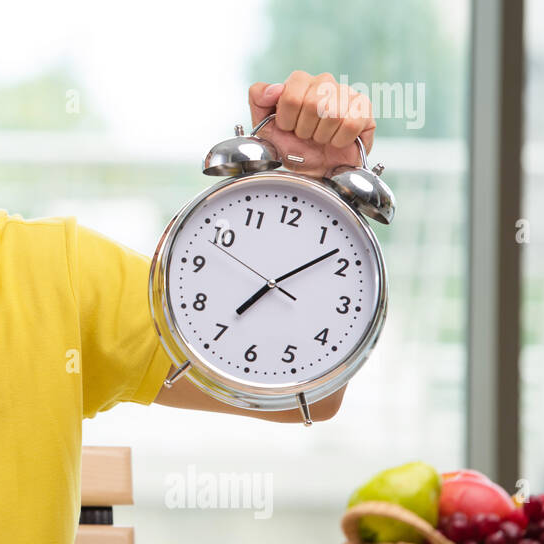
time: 7:07
